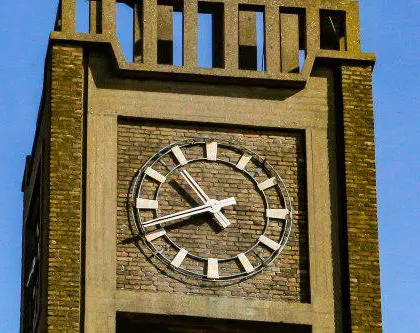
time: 10:41
